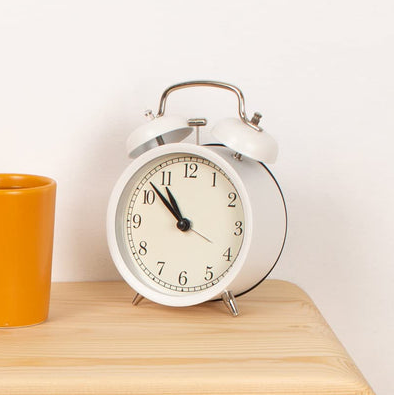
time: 10:51
